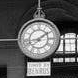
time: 1:42
